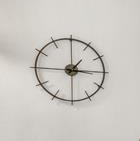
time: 1:15
